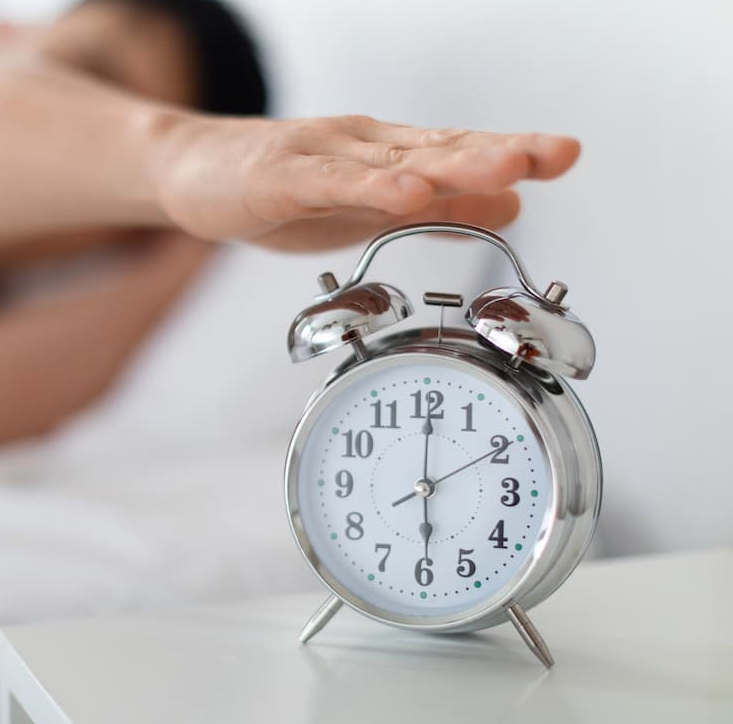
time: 6:00
